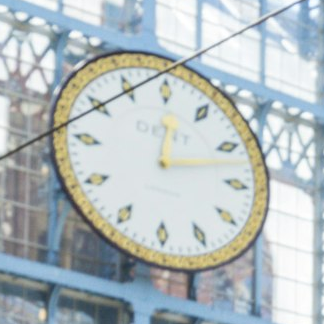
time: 12:12
